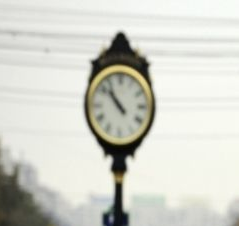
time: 10:52
